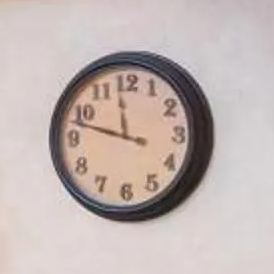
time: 11:47
